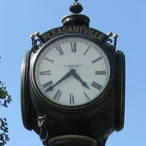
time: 4:38
